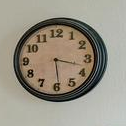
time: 3:29
